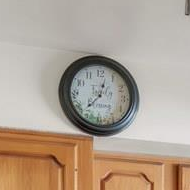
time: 12:36
